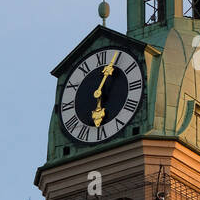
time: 6:05
